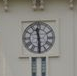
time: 11:29
